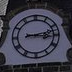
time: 3:12
